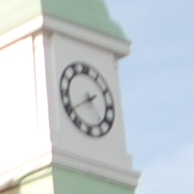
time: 4:40
